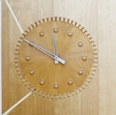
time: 11:49
